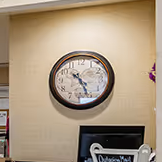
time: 10:26
